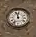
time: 11:57
